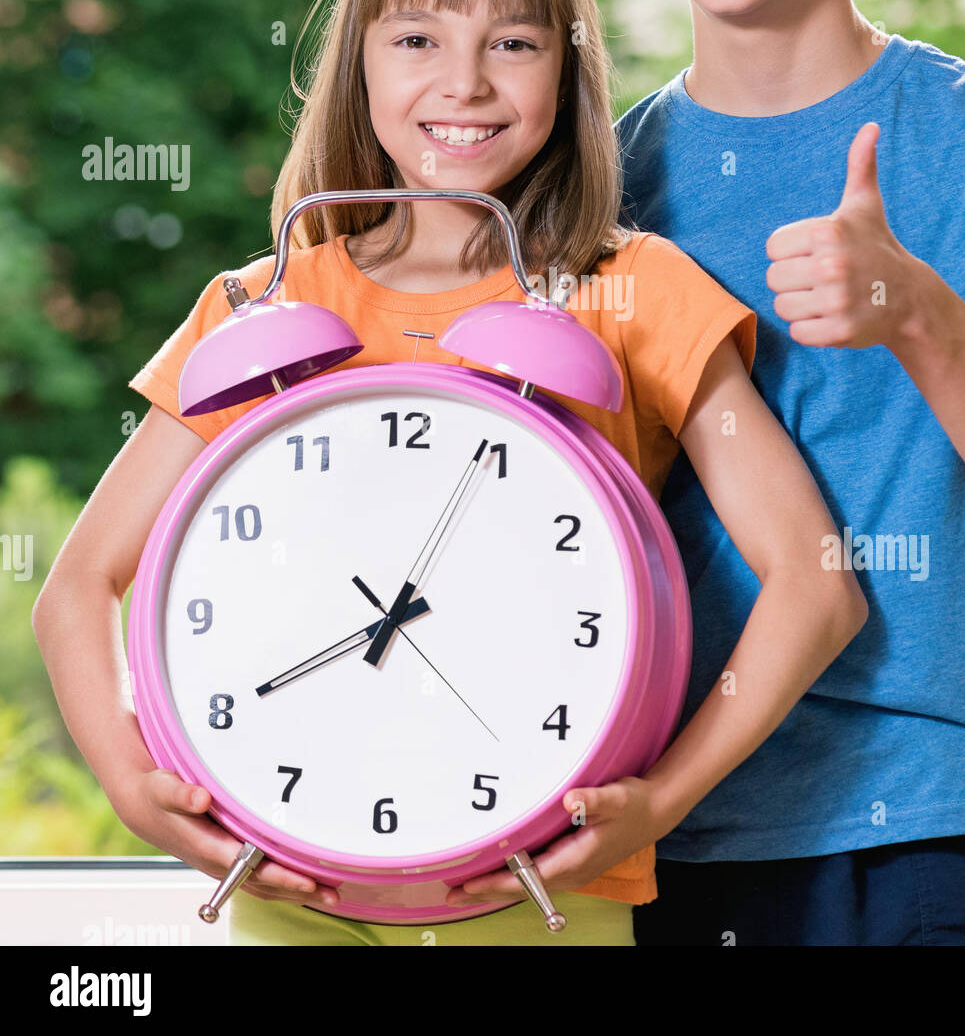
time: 8:04
